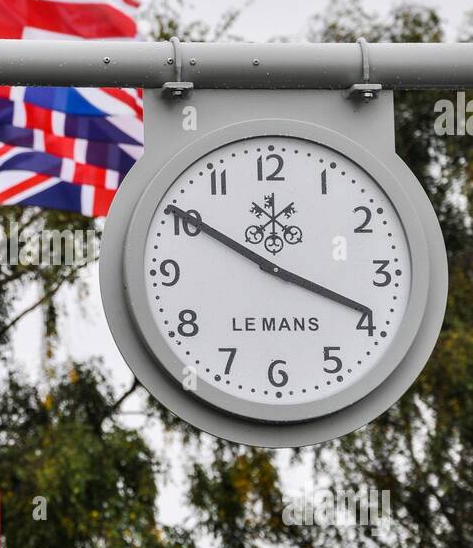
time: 3:50
